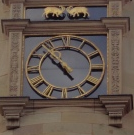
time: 4:52
